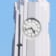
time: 4:42
